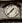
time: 1:37
